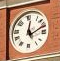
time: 12:11
